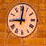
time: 9:01
